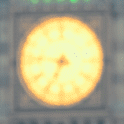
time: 6:46
